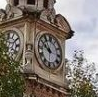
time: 9:50
